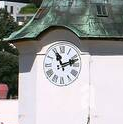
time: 11:11
